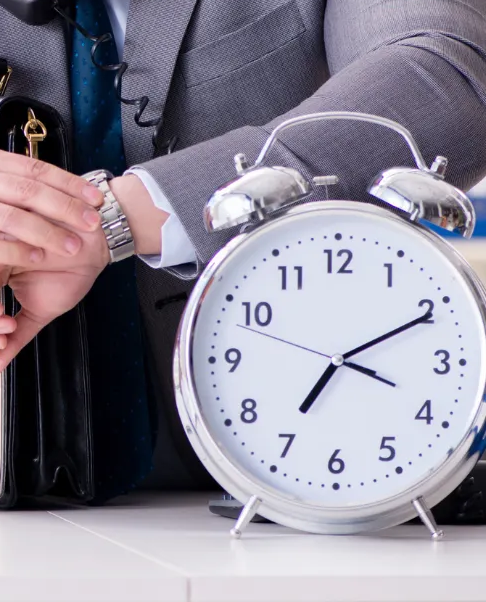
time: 7:10
